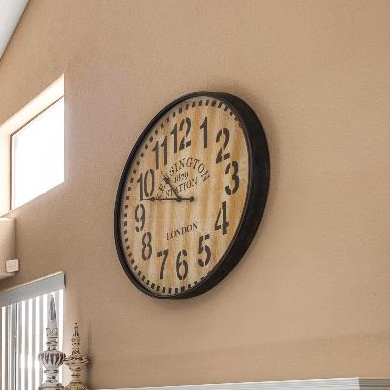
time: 10:47
